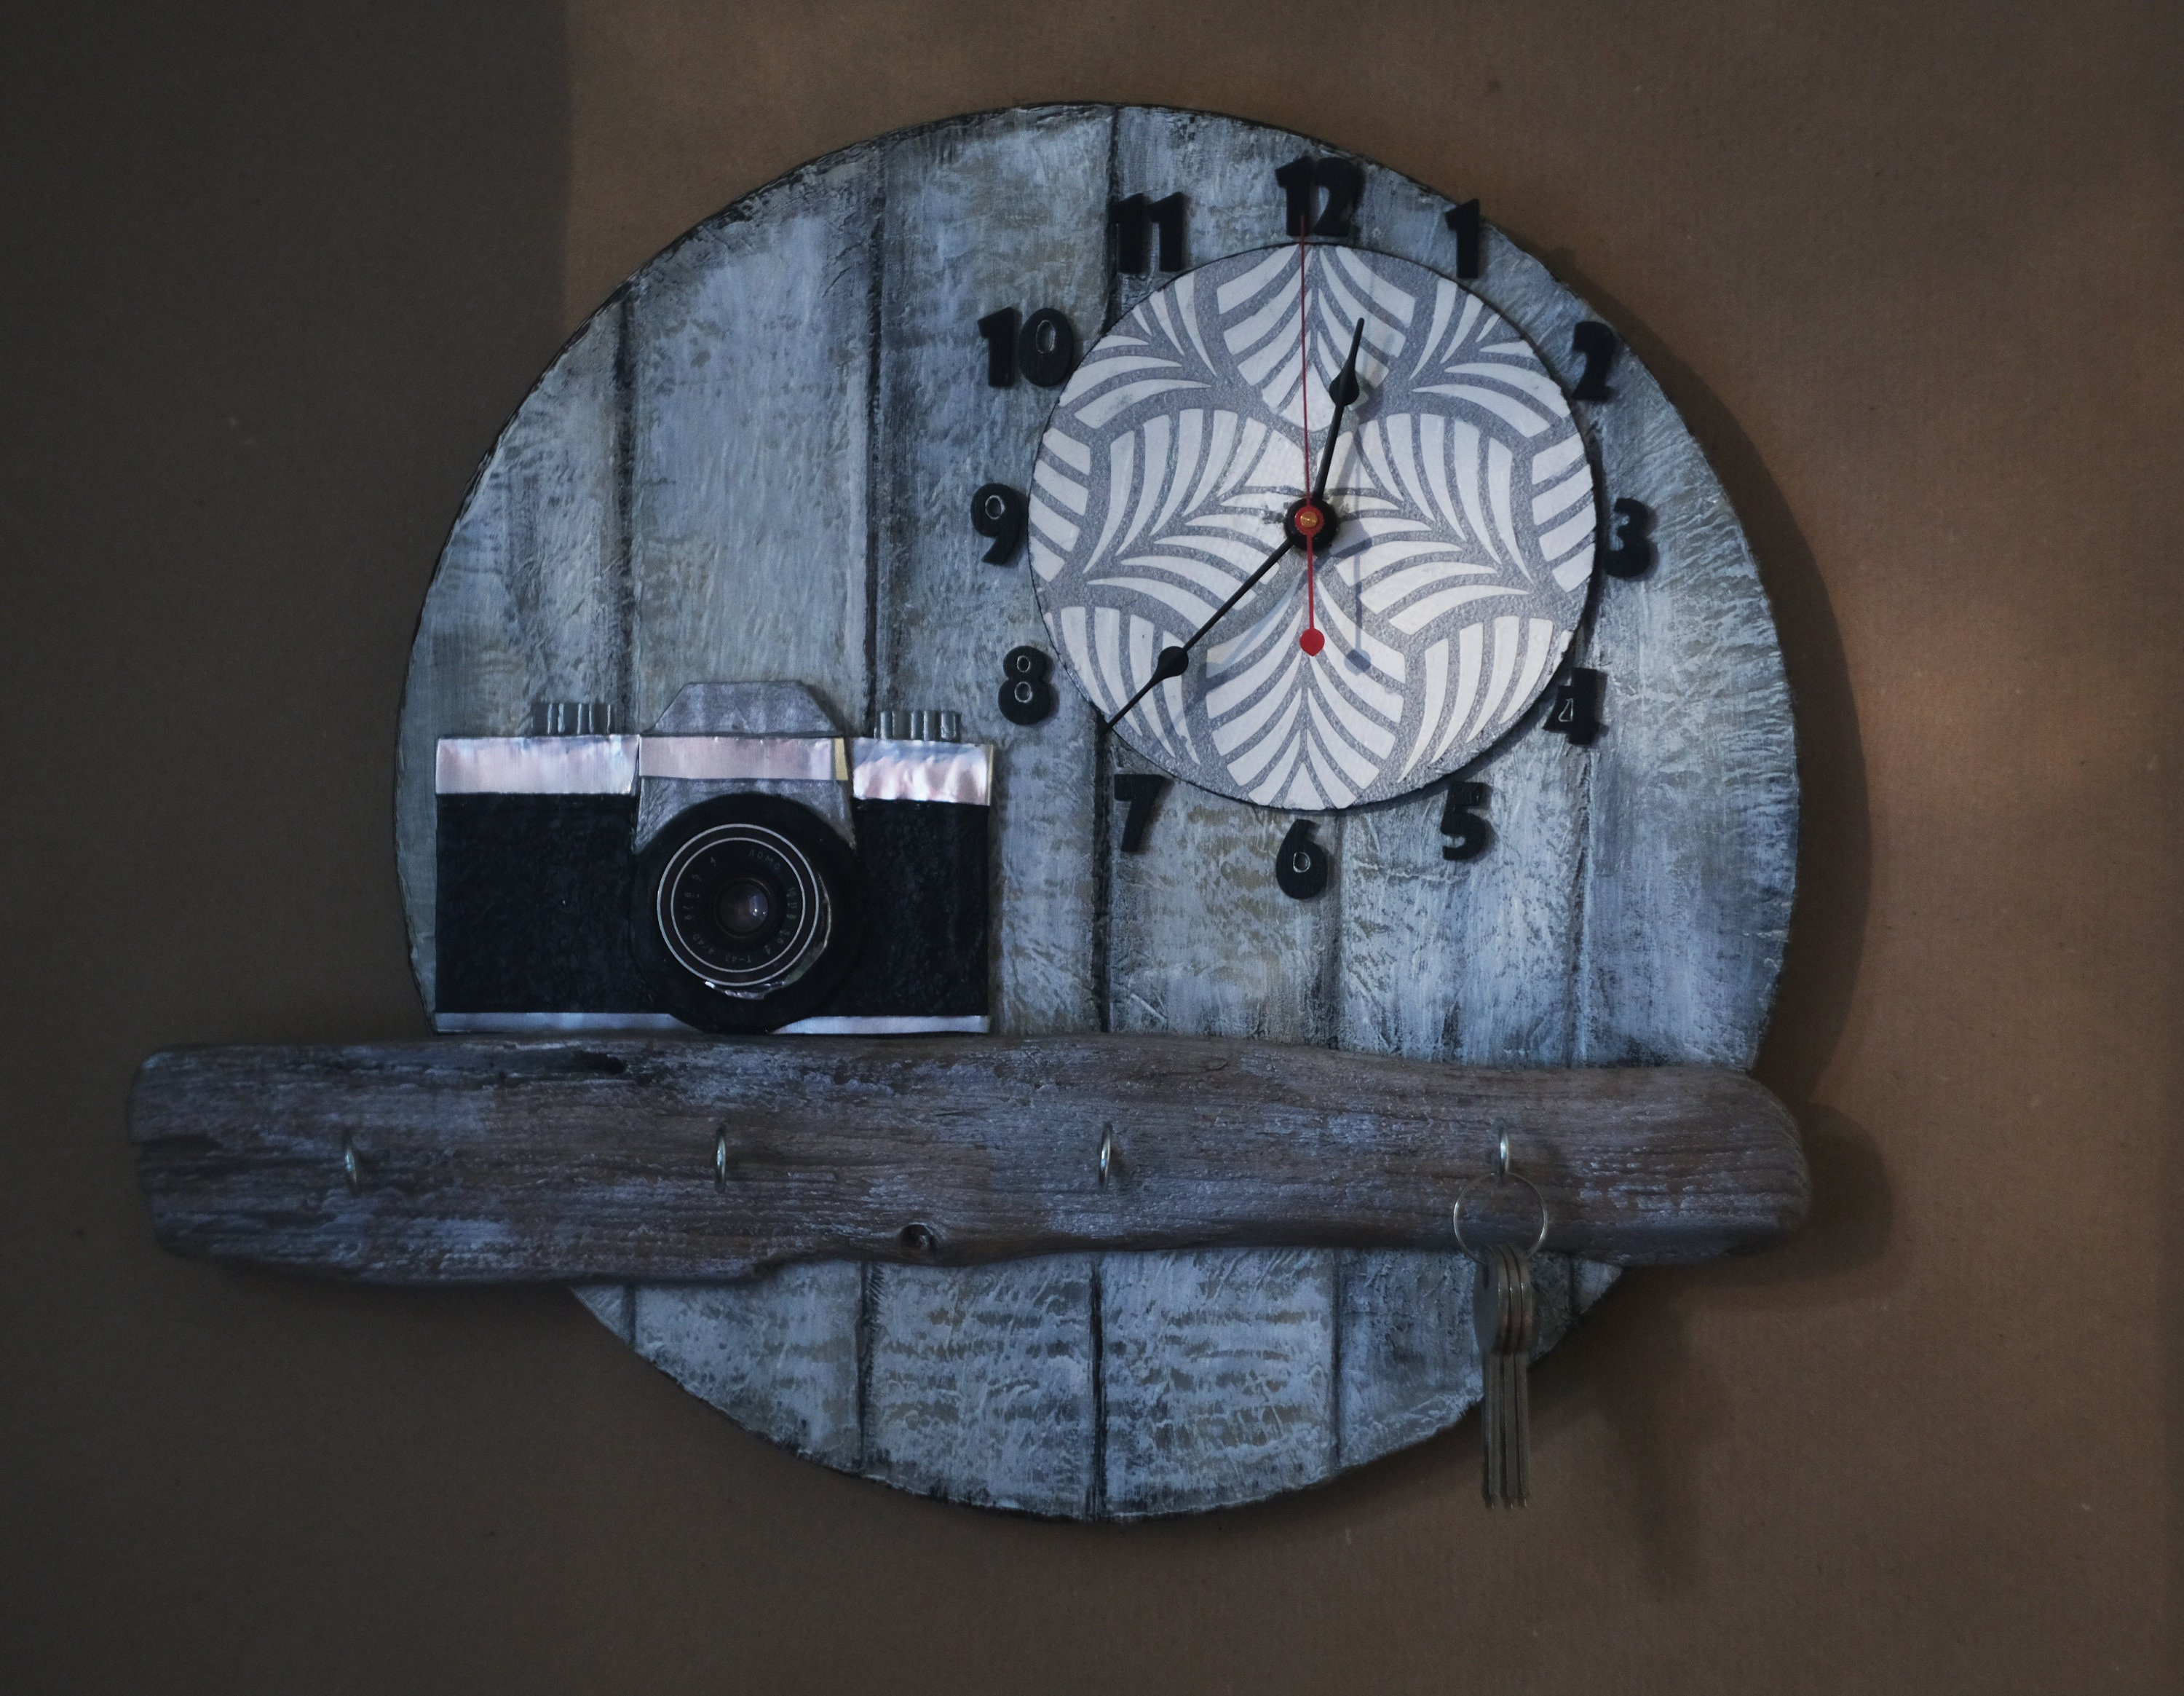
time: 12:37
